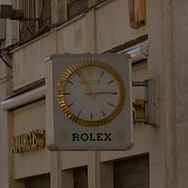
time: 11:14
